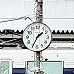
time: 1:34
